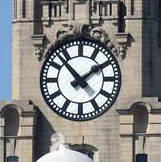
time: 1:52
